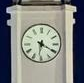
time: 6:20
